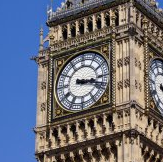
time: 3:18
